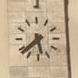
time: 5:38
